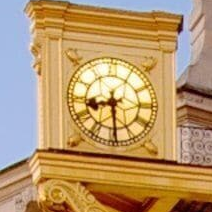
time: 8:29
